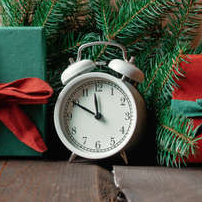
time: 11:49
